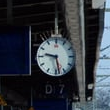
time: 9:28
